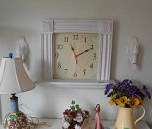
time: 11:10
